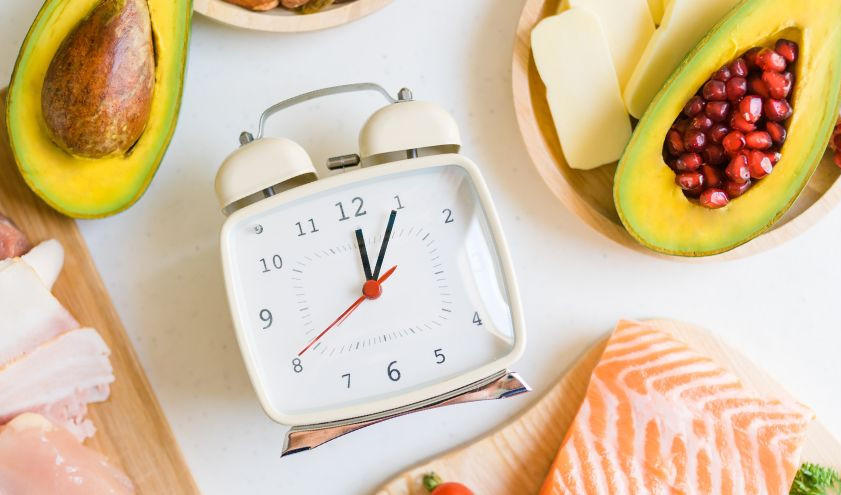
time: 12:05
